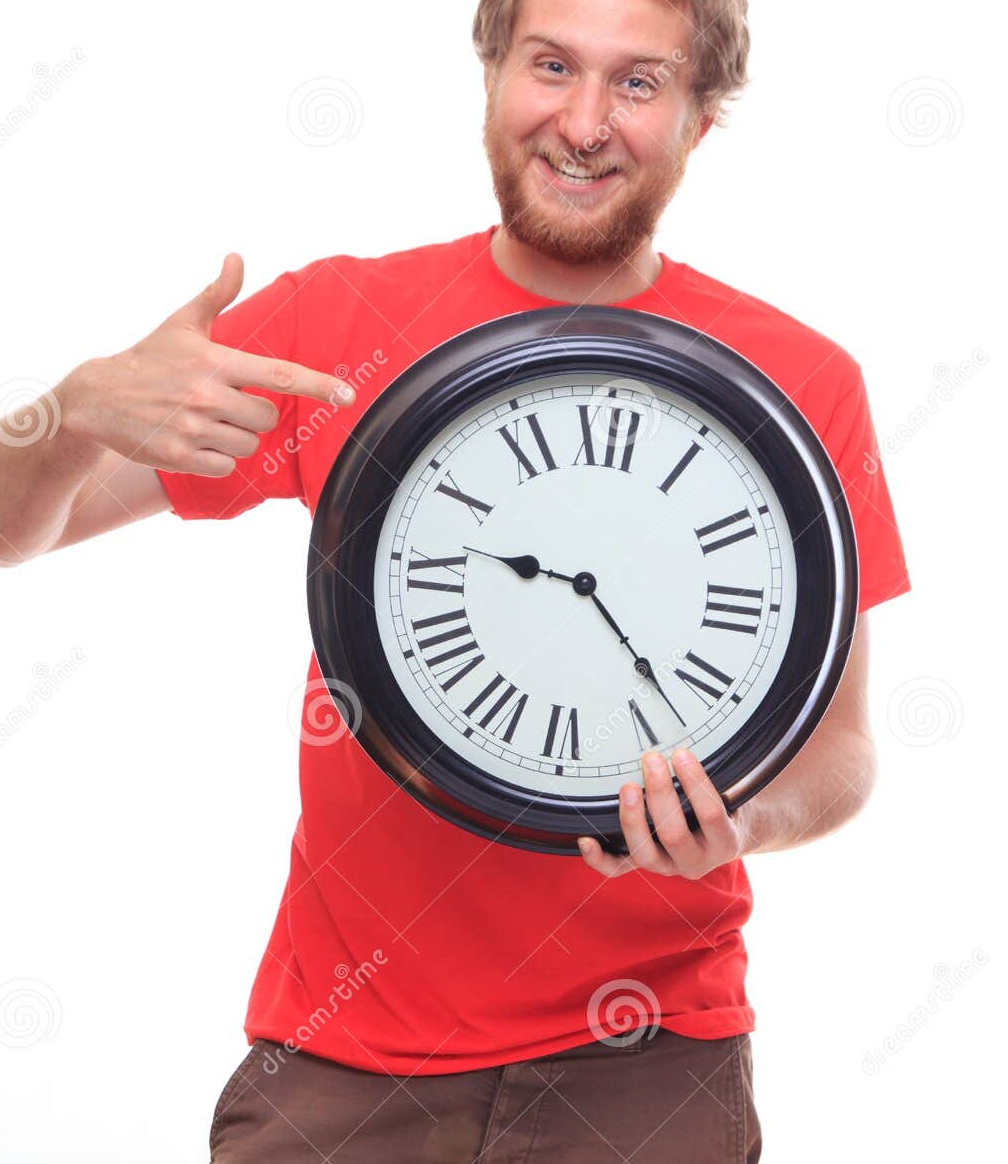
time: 9:22
